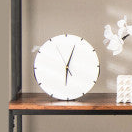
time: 6:03
